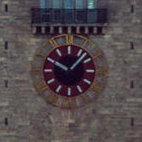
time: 10:07
